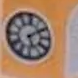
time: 5:09
